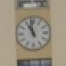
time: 10:58
